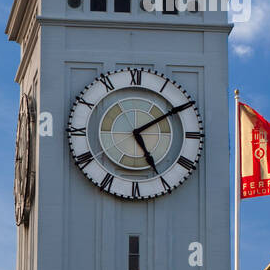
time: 5:09
